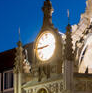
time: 8:44
